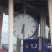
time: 6:29
